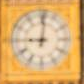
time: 9:01
